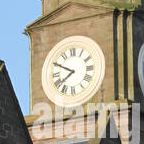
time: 7:49
